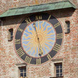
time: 11:28
